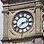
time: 2:38
